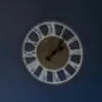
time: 2:06
